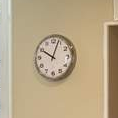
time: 10:03
